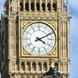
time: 4:10
